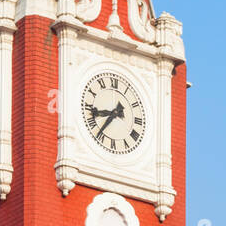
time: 8:36
